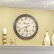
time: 5:41
